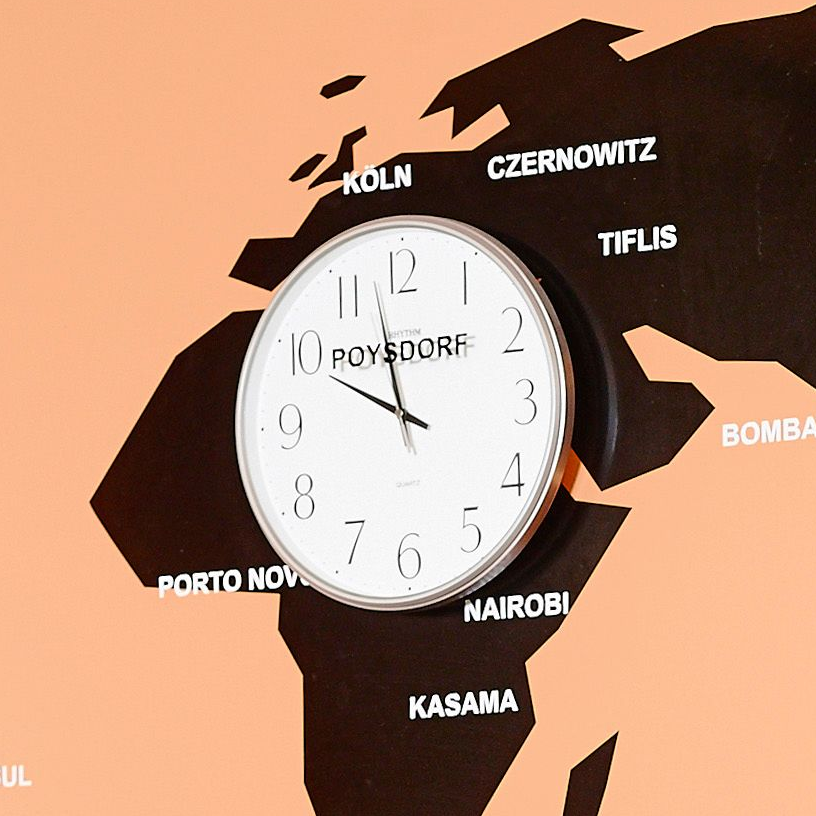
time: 9:57
